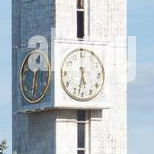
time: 5:32
